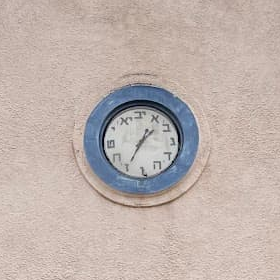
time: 1:35
